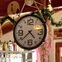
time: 4:38
